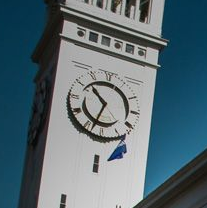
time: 10:33
